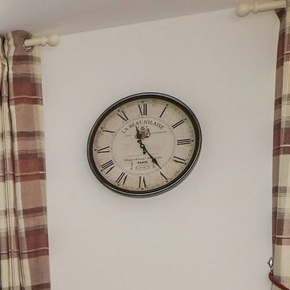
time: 11:24
